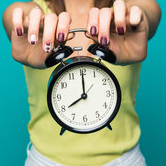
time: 8:00
